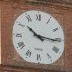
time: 10:15
